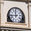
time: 11:43
